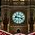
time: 9:17
